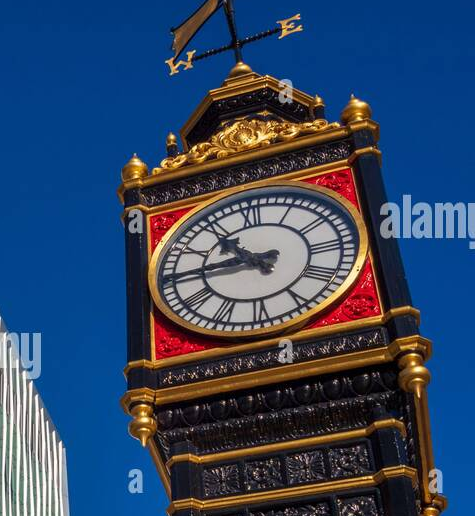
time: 10:45
